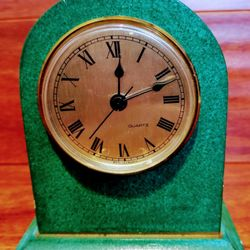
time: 12:11
